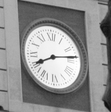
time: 8:13
